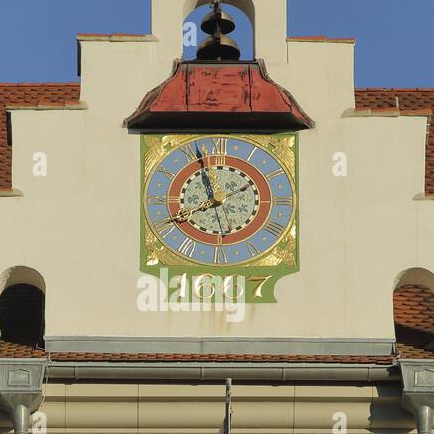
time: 7:57
